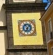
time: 6:06
